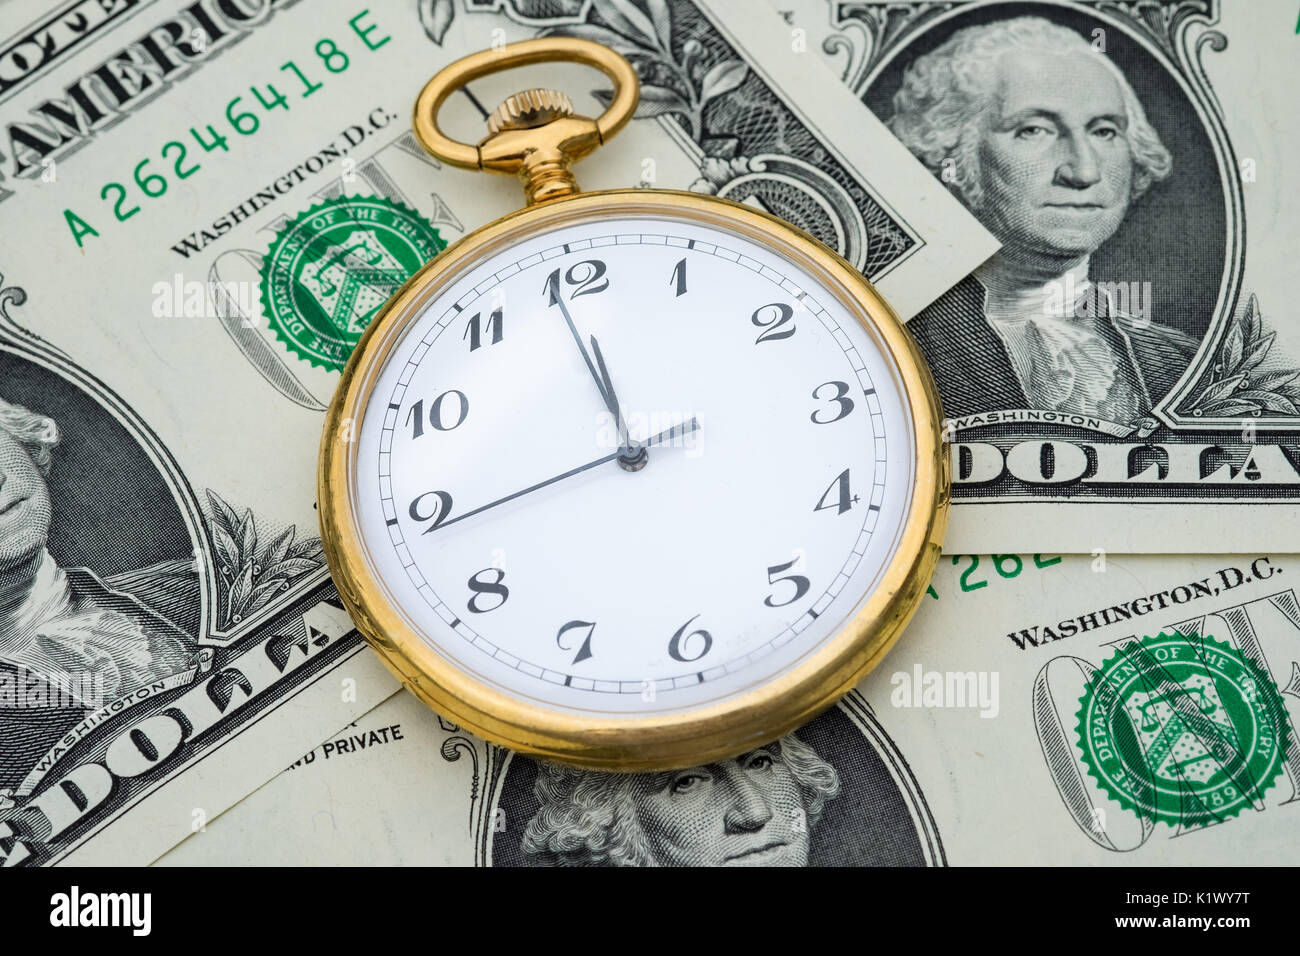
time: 11:44
